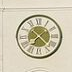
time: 7:22
